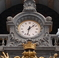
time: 1:32
